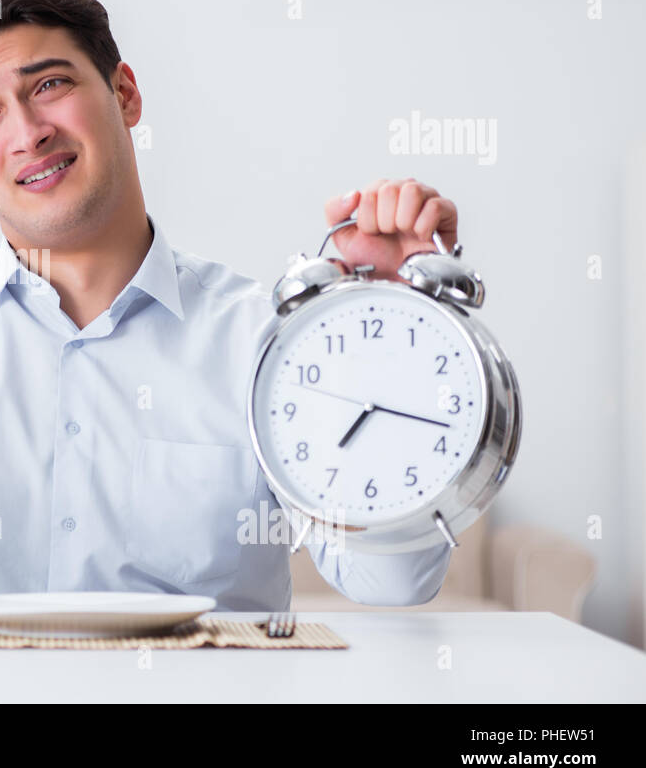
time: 7:17
